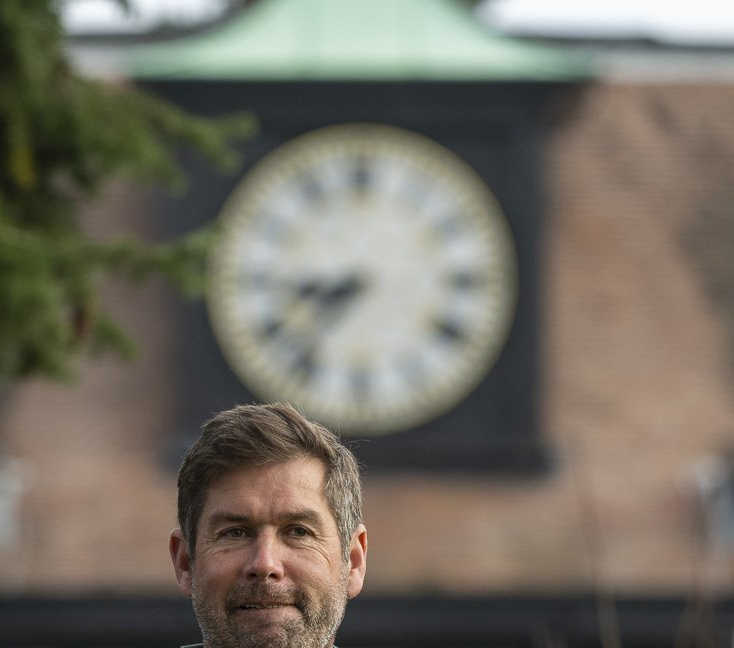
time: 8:37
